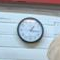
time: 1:16
